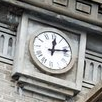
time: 12:12
